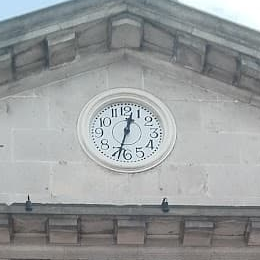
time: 12:33
